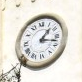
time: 1:17
